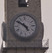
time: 4:50
